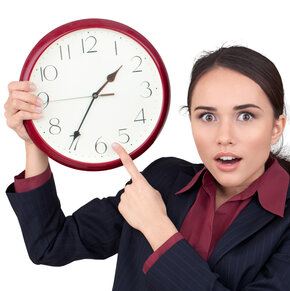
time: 1:35
